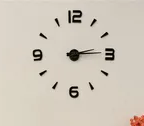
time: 2:14
